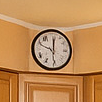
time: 11:49
